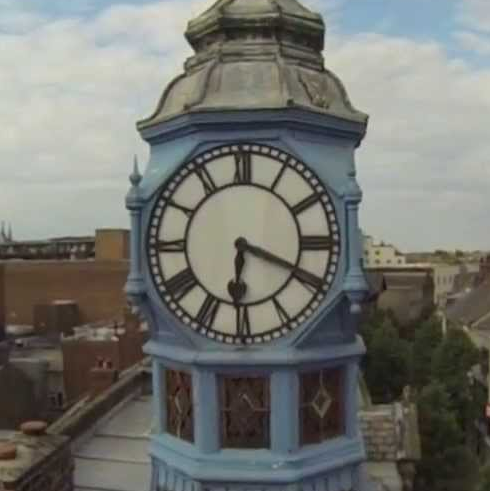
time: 6:18
